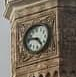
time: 4:46
